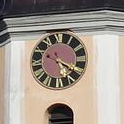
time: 4:19
